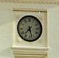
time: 7:27
